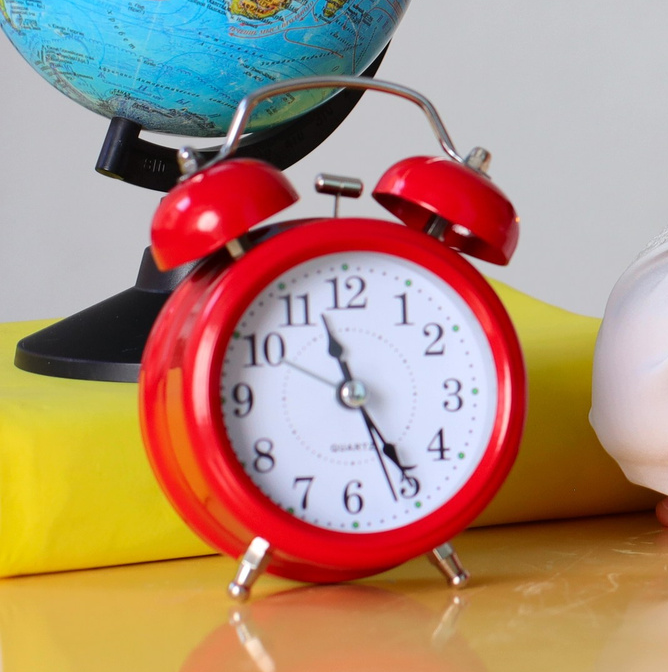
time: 11:24
